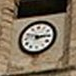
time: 2:48
